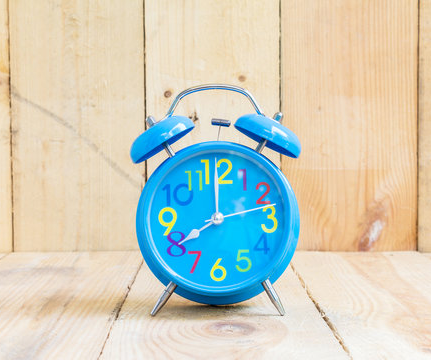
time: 8:00
